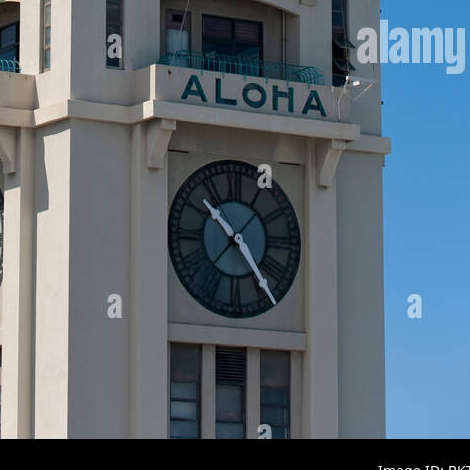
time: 10:24
